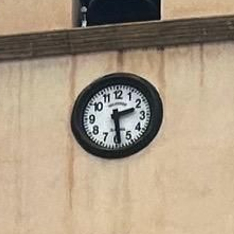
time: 2:28
